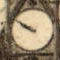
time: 9:50
